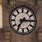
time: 7:15
